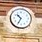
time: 10:34
